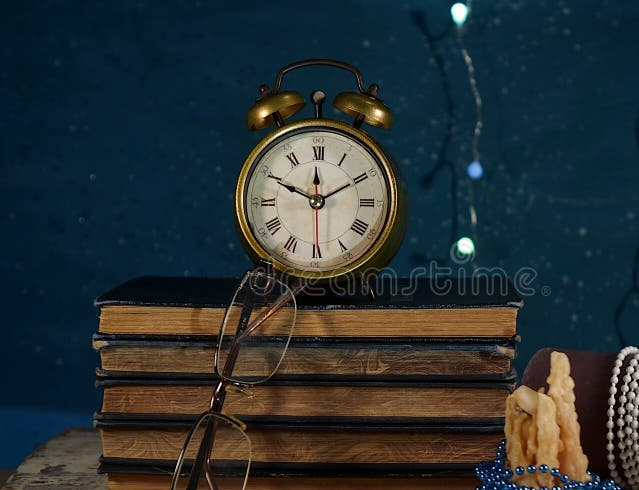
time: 11:49
